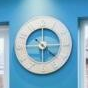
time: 10:14
